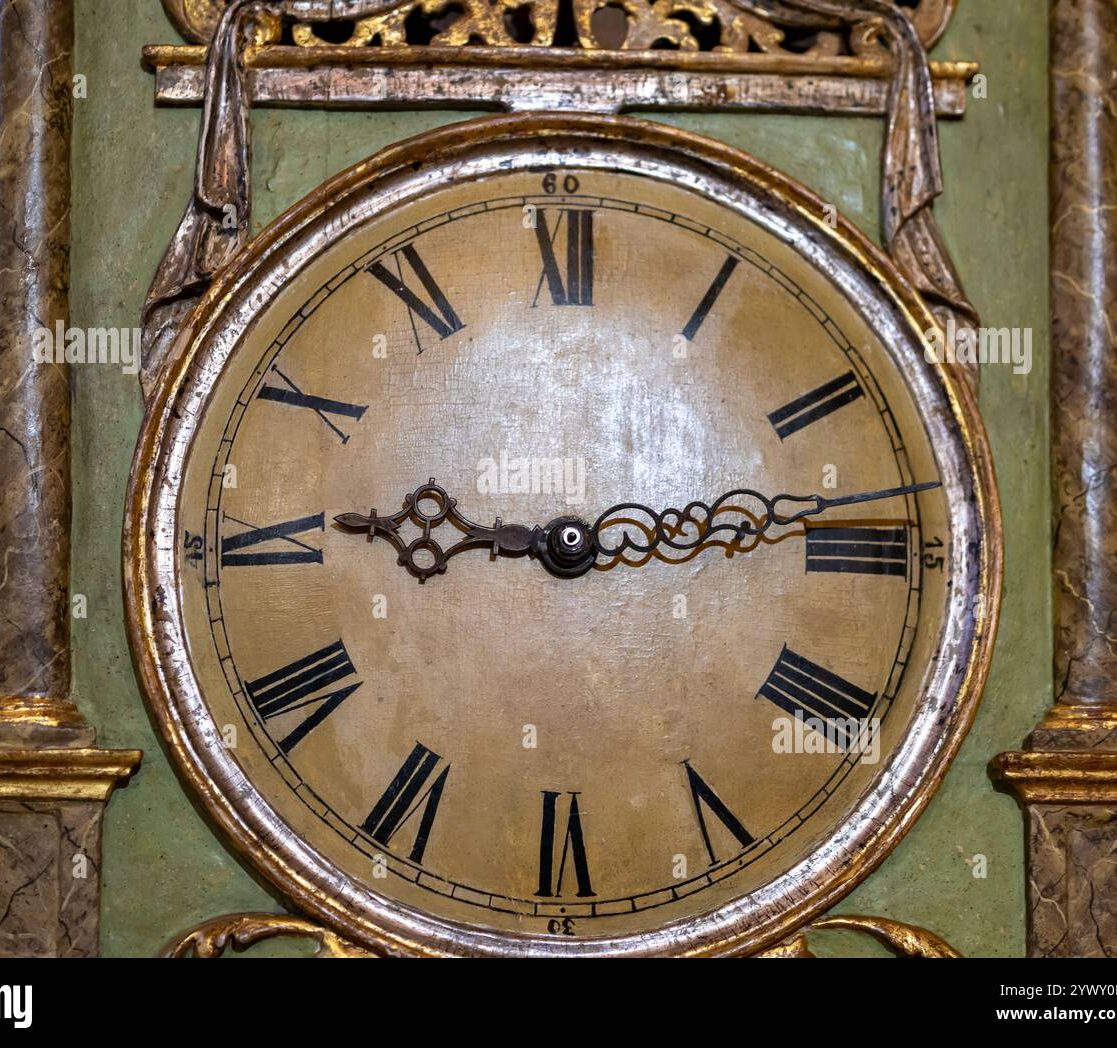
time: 9:13
